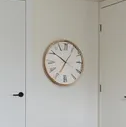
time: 6:50
